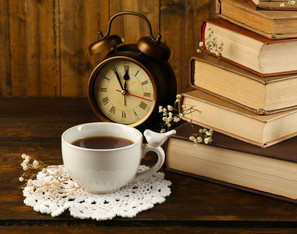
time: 11:55
